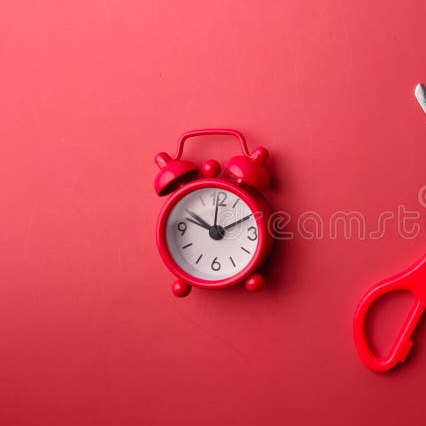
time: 10:10
